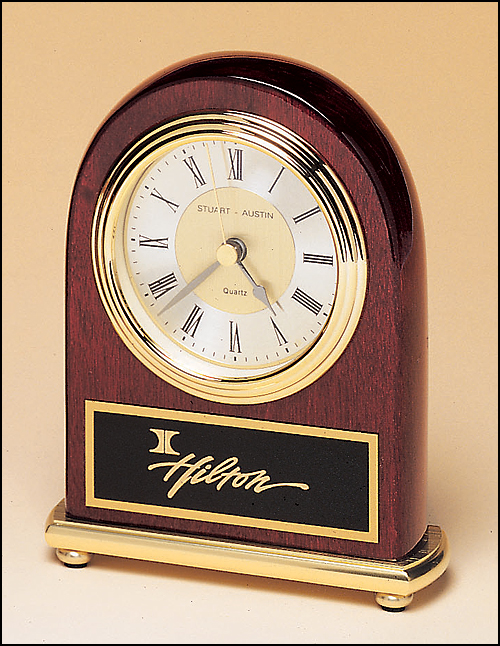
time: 4:37
